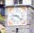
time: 9:22
